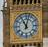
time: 11:02
